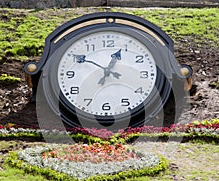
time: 12:50
